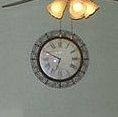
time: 6:49
